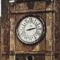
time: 2:12
